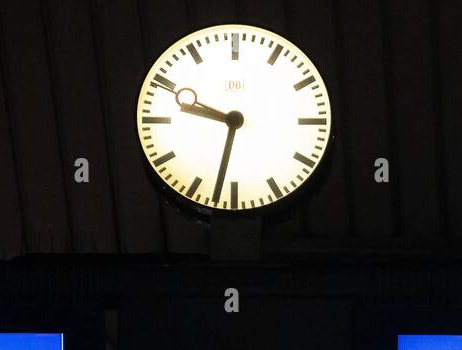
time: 9:32
